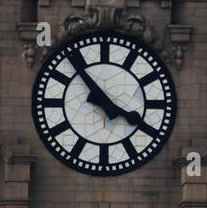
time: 3:52
